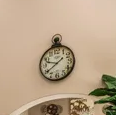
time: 9:39
